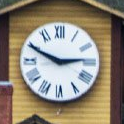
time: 2:49
